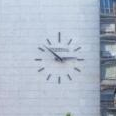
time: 2:52
